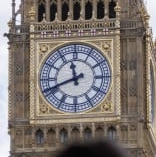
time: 11:41
